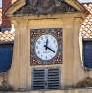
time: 12:19
